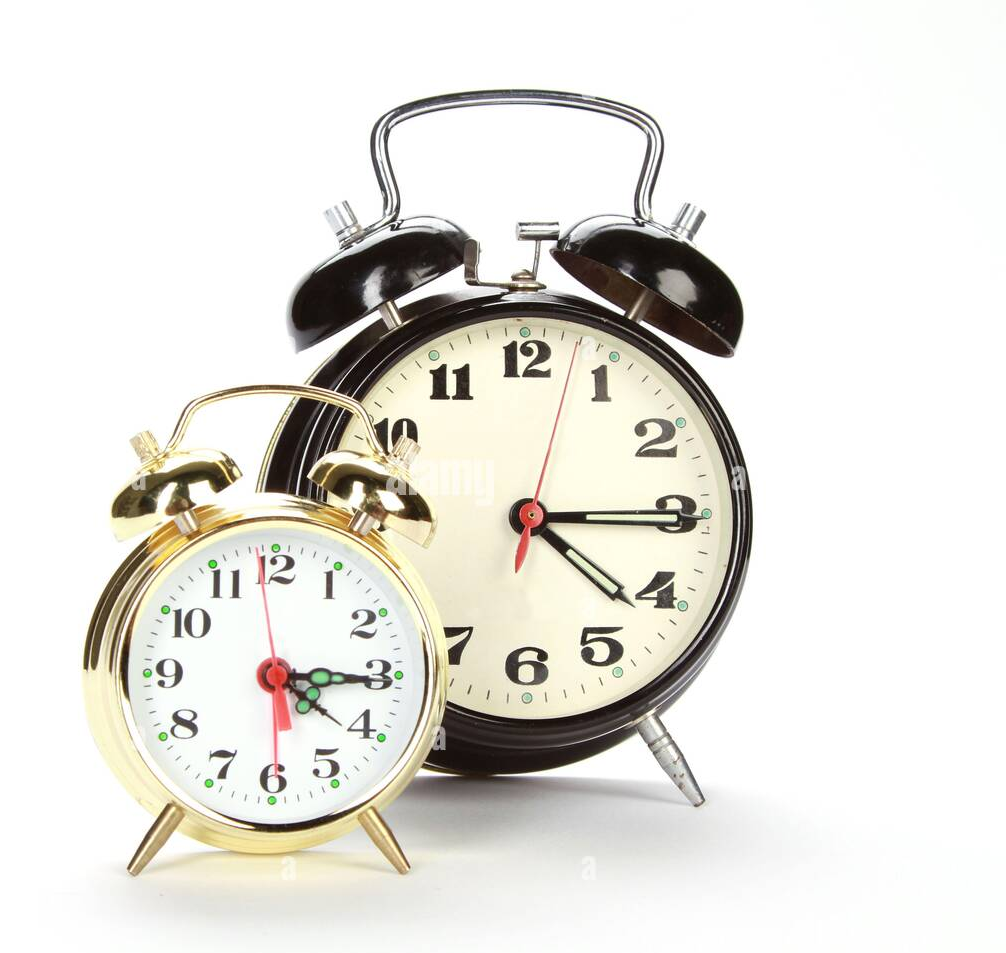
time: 4:15
